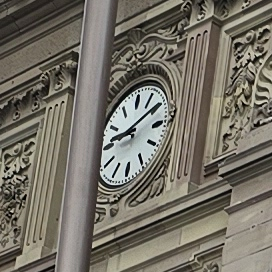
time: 9:10
